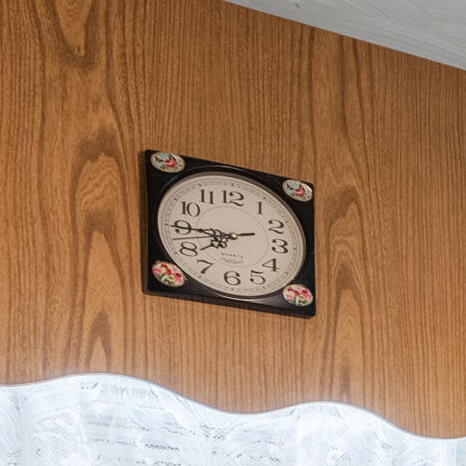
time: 7:45
